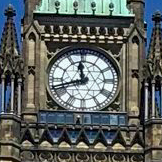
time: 11:41
